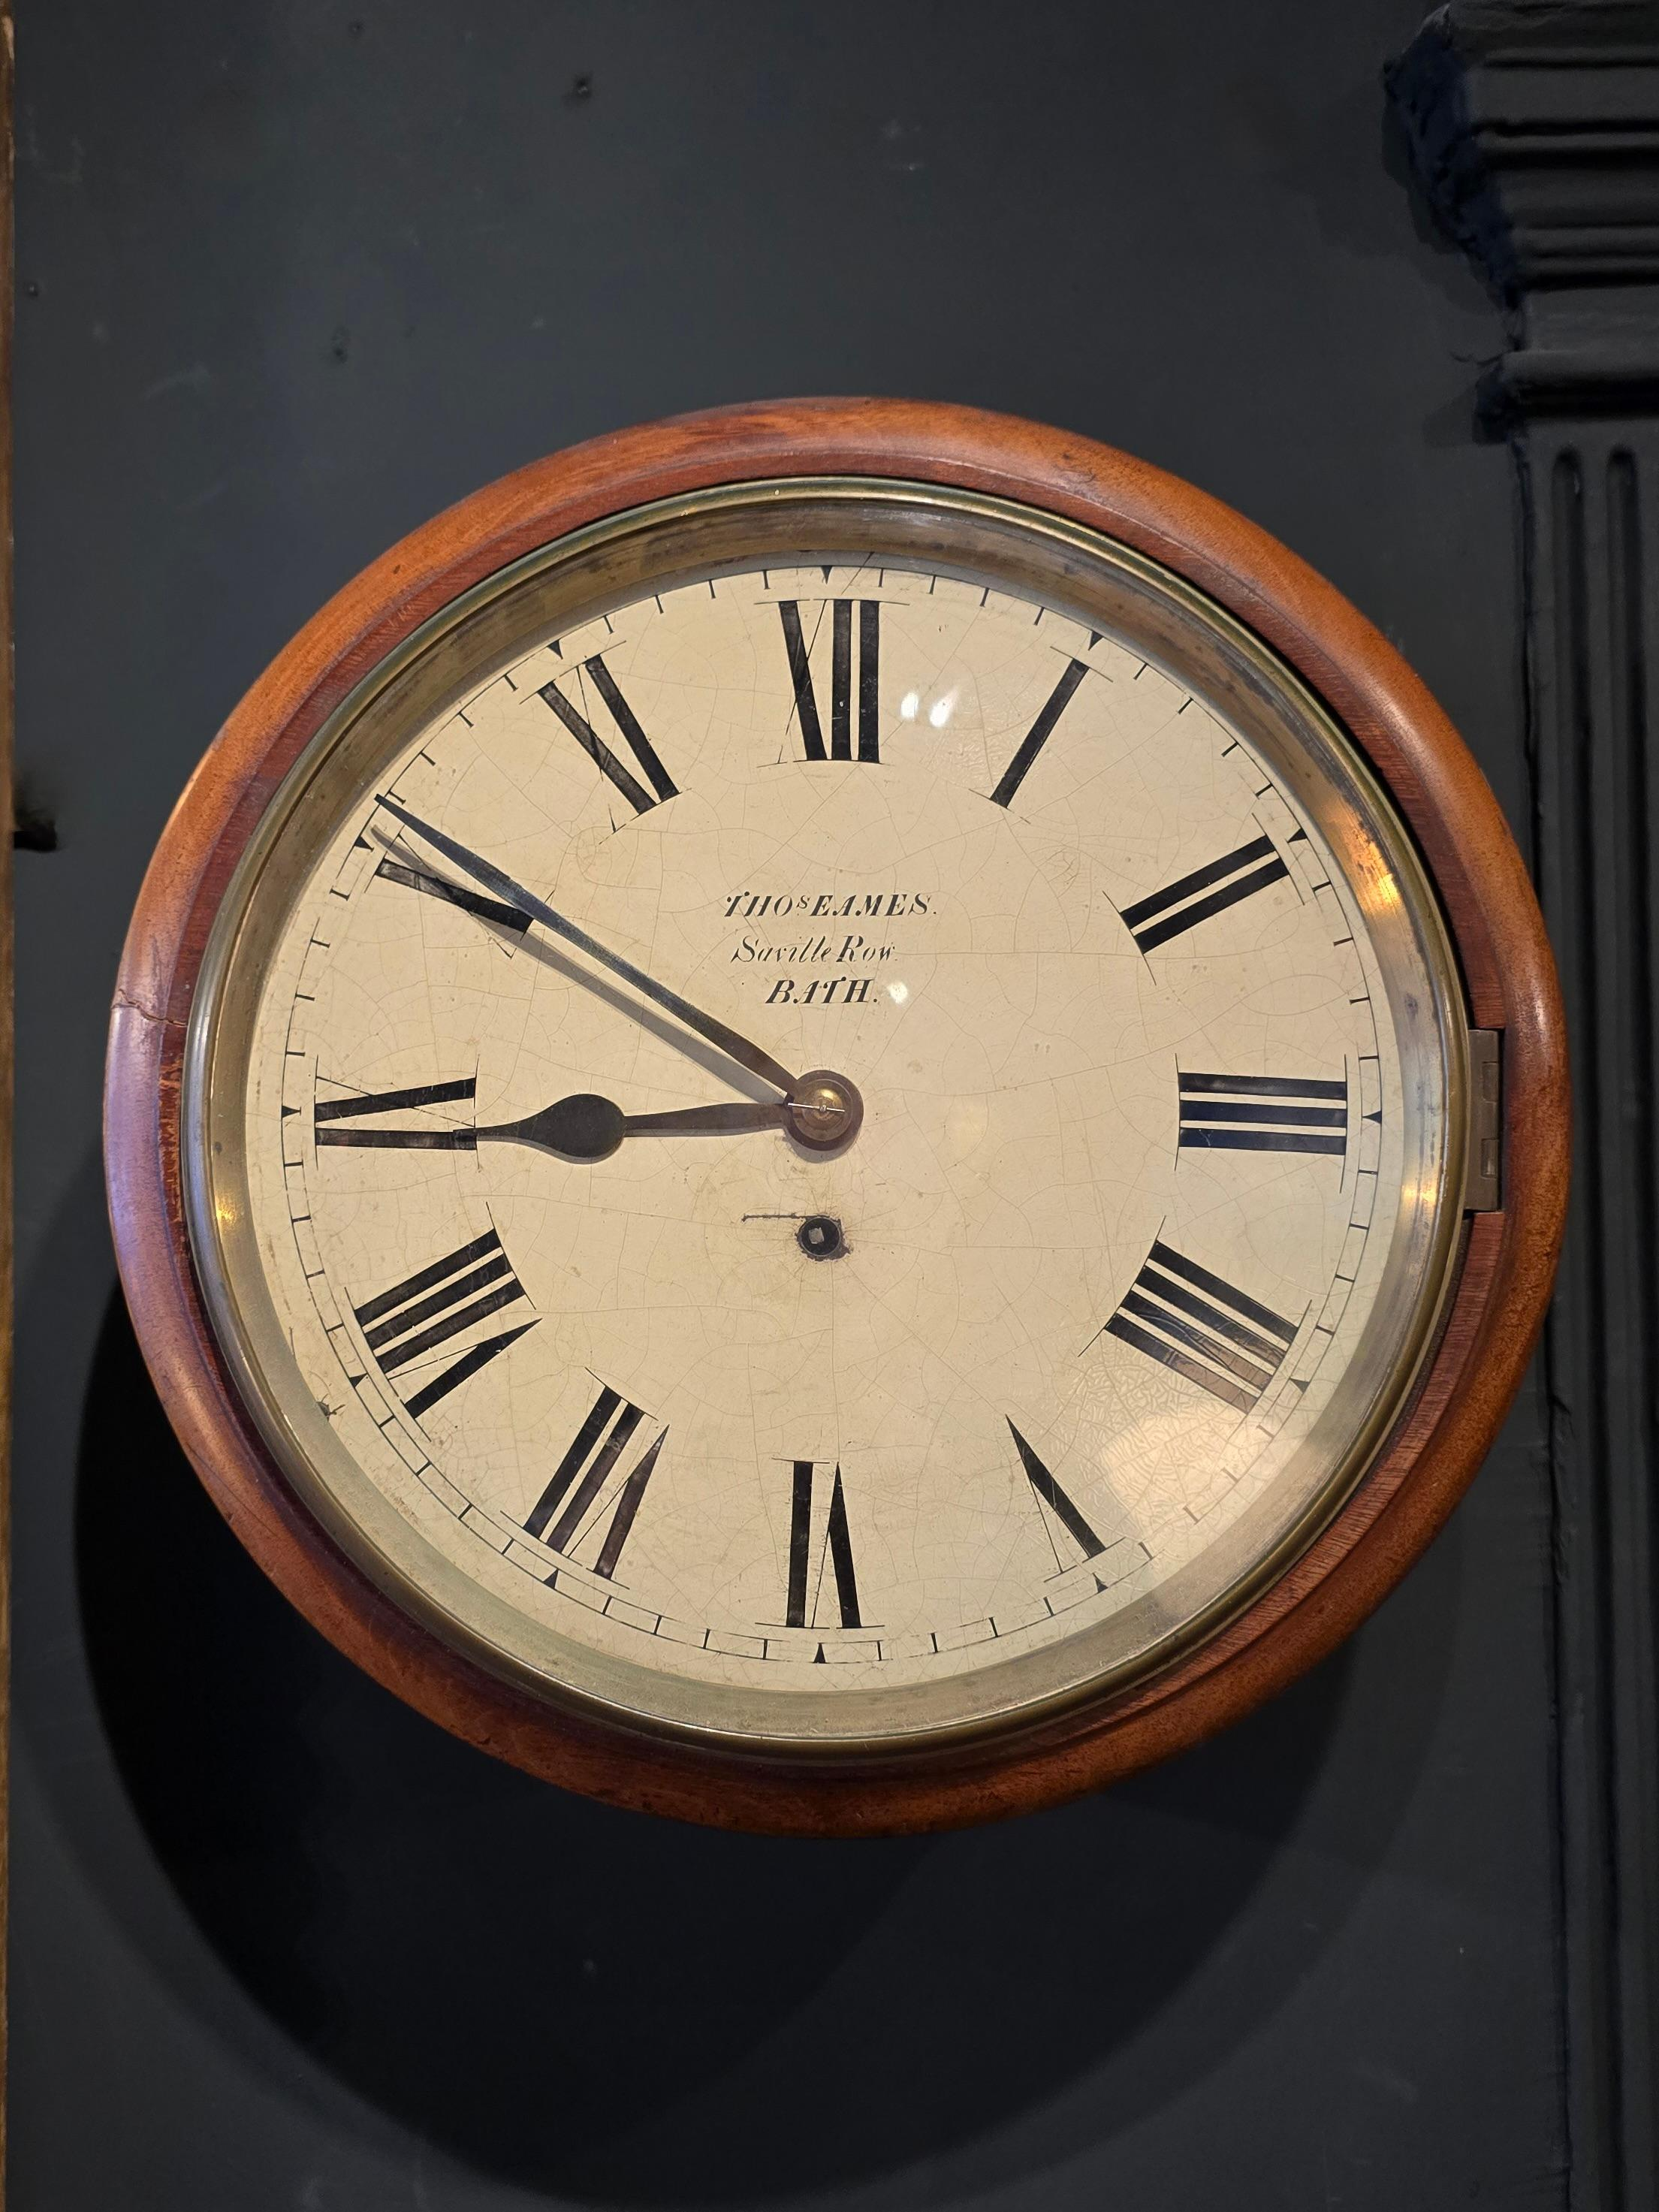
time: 8:50
